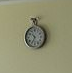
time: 10:34
